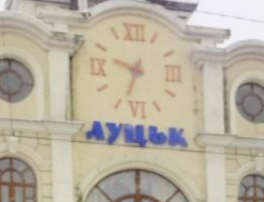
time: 9:33
